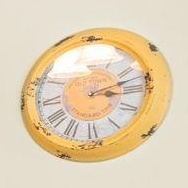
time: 3:12
